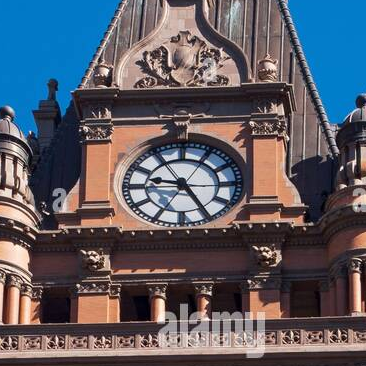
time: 9:24
